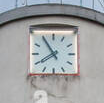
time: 7:54
